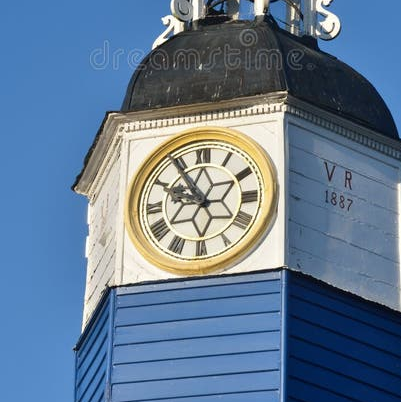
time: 9:54
